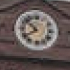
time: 7:52
